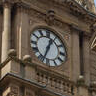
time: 12:33
